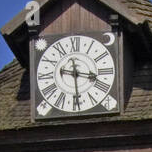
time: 3:29
